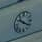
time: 10:20
